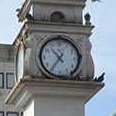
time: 10:36
